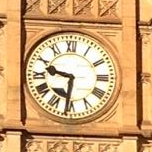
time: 9:31
